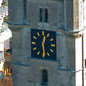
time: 12:28
